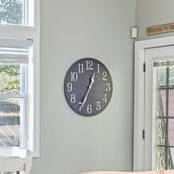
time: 12:34
